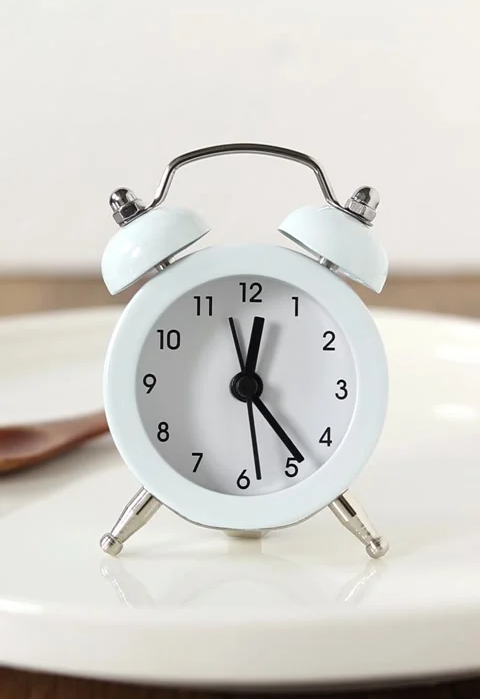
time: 12:23
